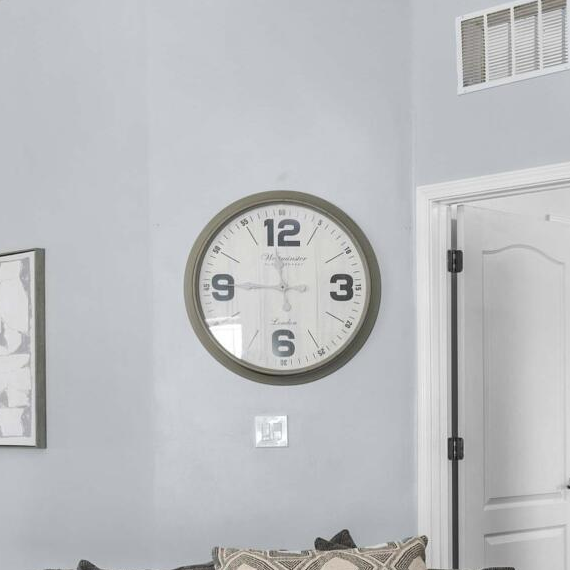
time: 11:28
